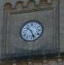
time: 10:26
